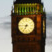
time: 6:45
